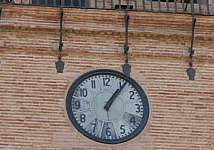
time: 1:06
